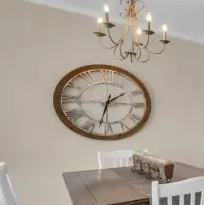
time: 1:32
